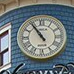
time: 10:54
